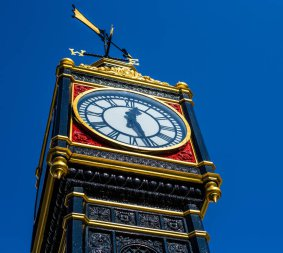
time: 12:26
